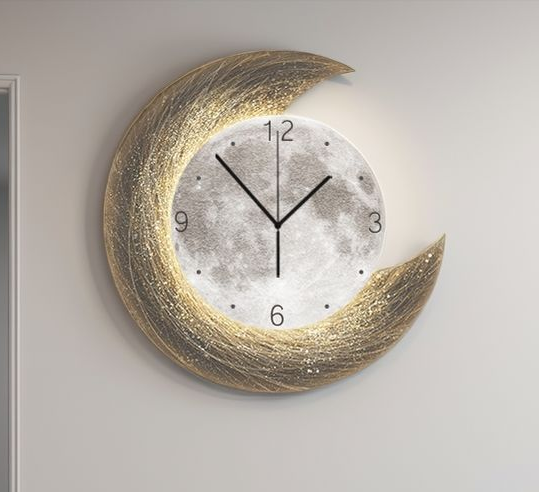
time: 1:53
